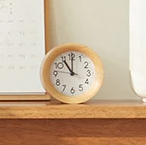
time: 11:00
